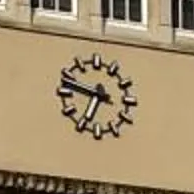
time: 6:47
